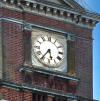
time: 5:36
